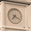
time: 7:19
